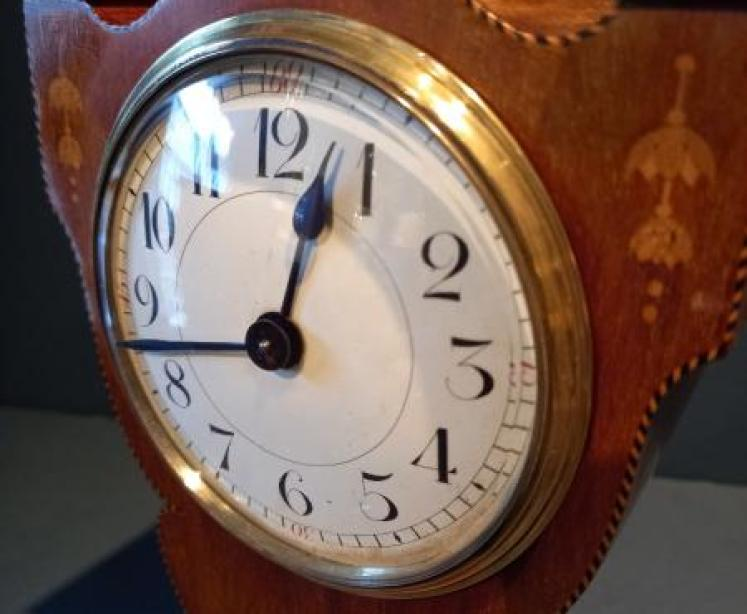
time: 12:42
